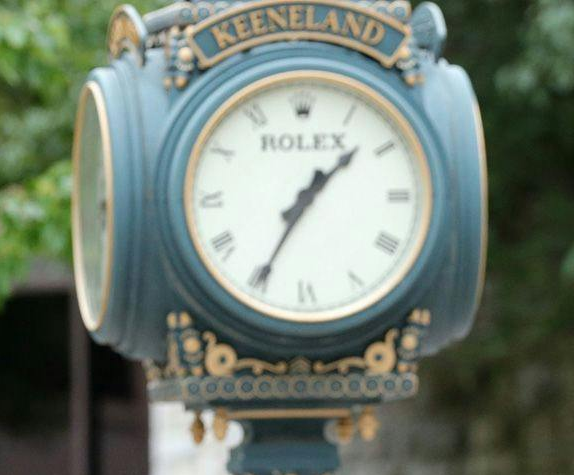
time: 1:34
